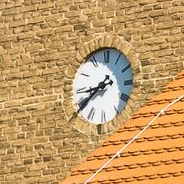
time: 8:38
